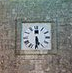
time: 5:30
